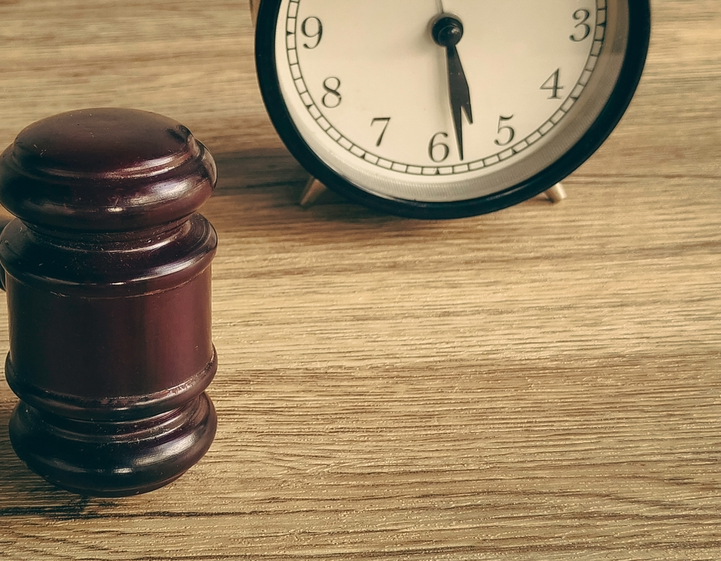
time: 5:28
